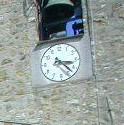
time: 3:22
